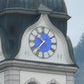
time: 10:36
